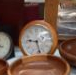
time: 9:28
